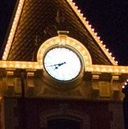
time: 7:42
